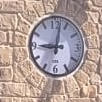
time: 9:01
